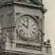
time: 10:00
